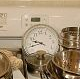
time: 9:42
